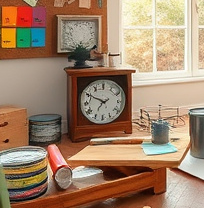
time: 6:49
